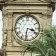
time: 3:31
